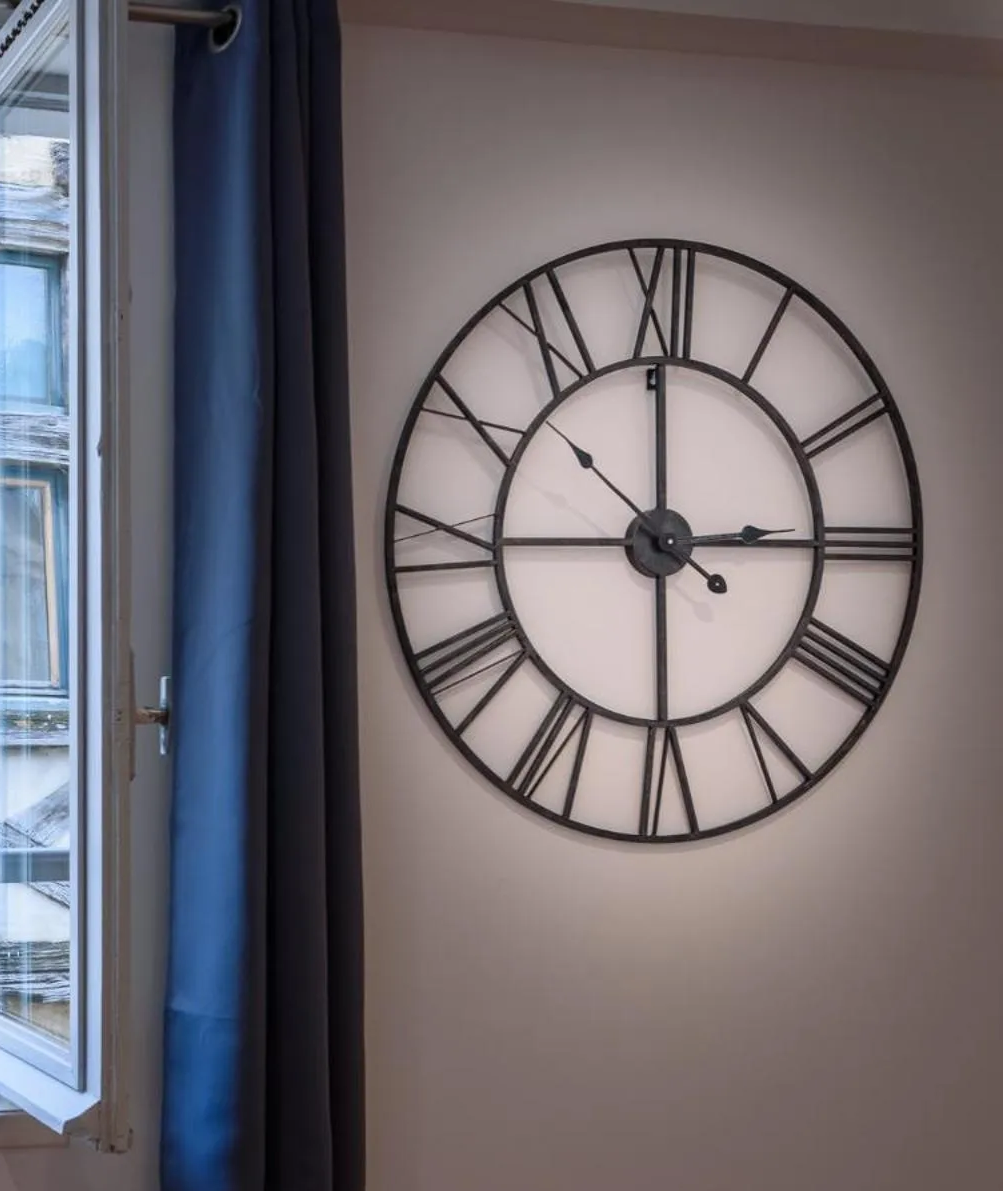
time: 2:59
